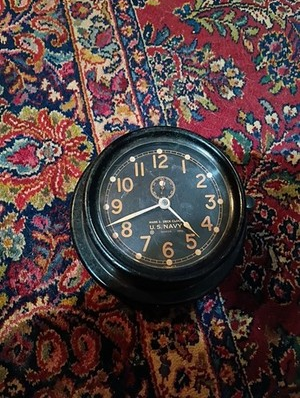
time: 4:41
